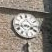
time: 3:43
